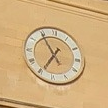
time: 6:54
